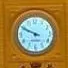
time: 9:49
